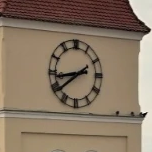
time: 8:38
